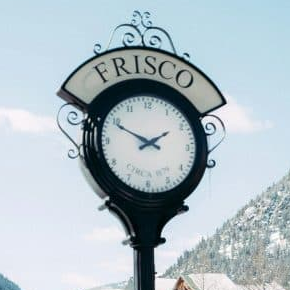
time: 1:49
